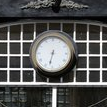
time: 6:32
